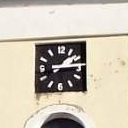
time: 1:14
